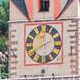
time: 11:40
